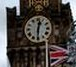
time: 12:30
